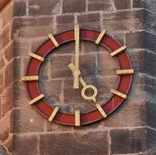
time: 4:59
